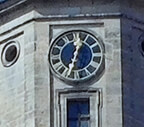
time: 12:32
